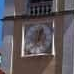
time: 12:37
